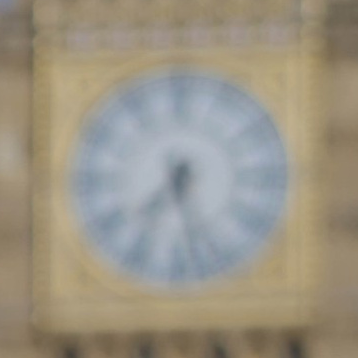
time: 7:27
